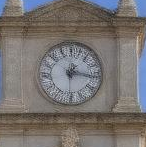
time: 1:16
